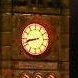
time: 8:42
